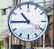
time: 10:45
